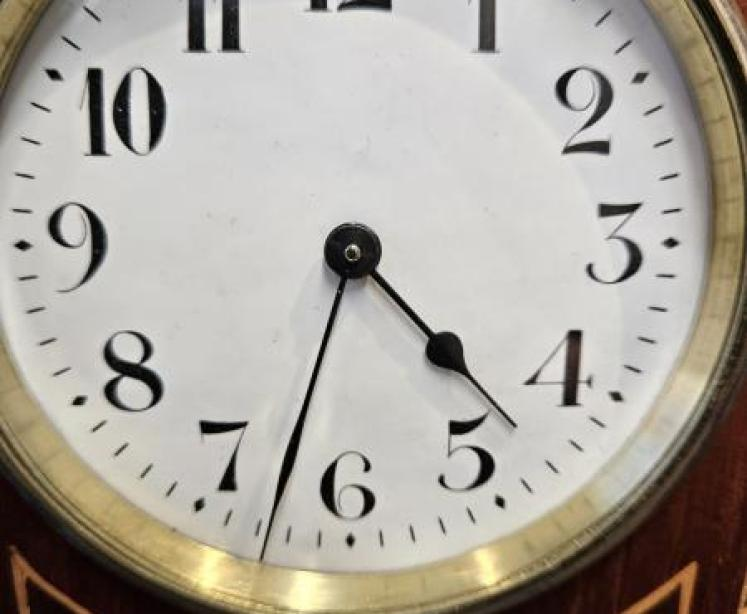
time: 4:32
